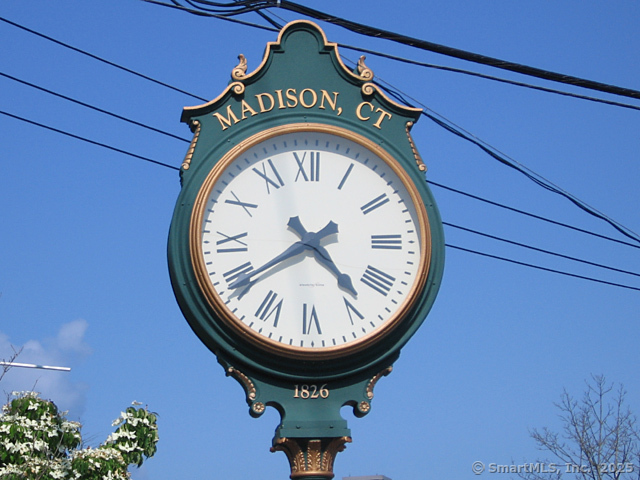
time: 4:39
